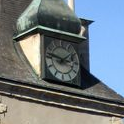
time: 1:46
